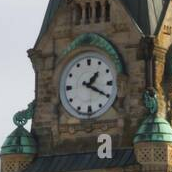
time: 1:20
